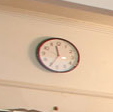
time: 11:34
